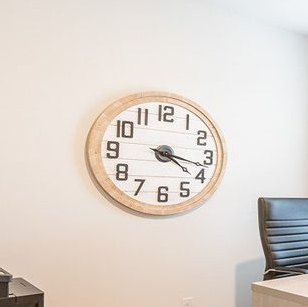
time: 4:17
